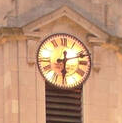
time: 6:12
